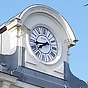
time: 7:43
